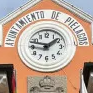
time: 1:47
